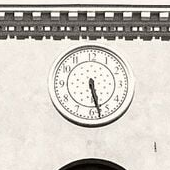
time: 5:27
